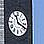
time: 11:18
